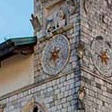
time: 6:38
